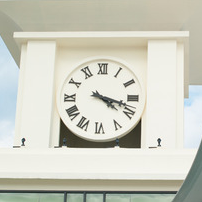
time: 4:18
